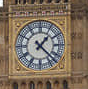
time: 1:22
